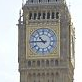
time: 10:45
